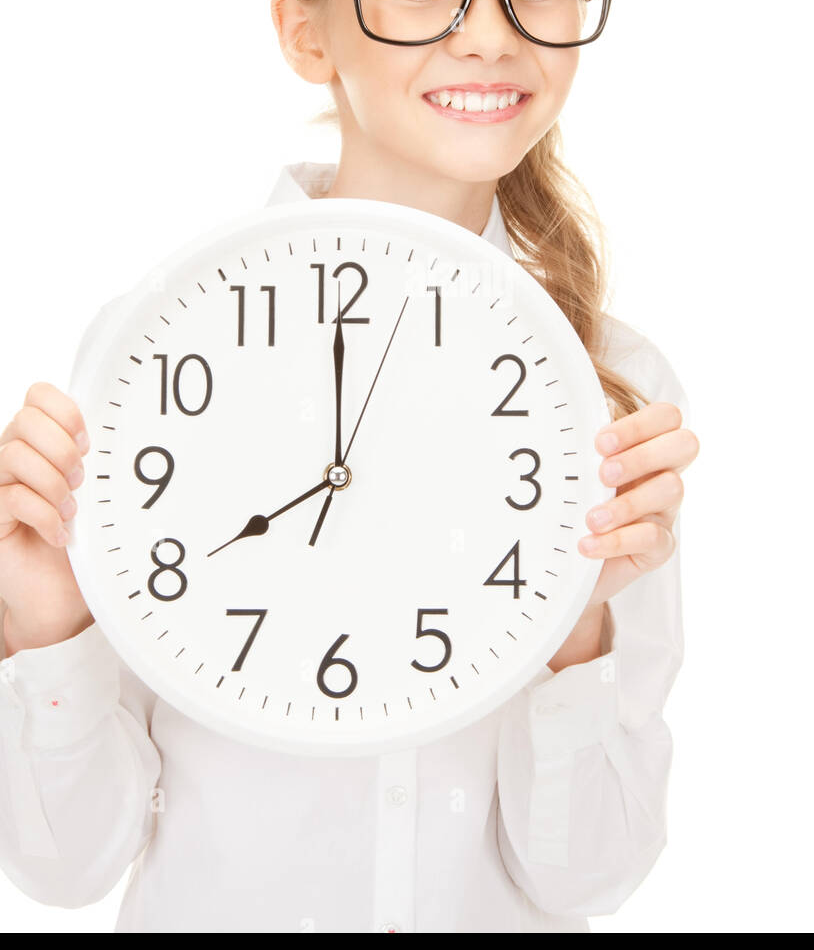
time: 7:59
